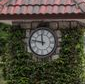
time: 11:46
